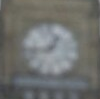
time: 12:43
